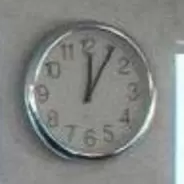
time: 12:05
